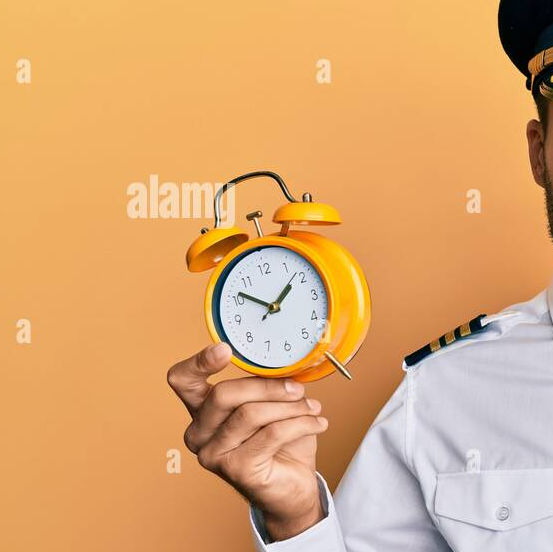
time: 1:51
